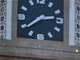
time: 2:38
